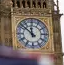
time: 11:51
